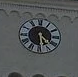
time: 4:29
